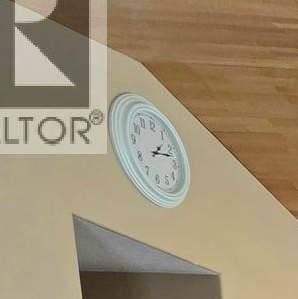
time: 1:12
